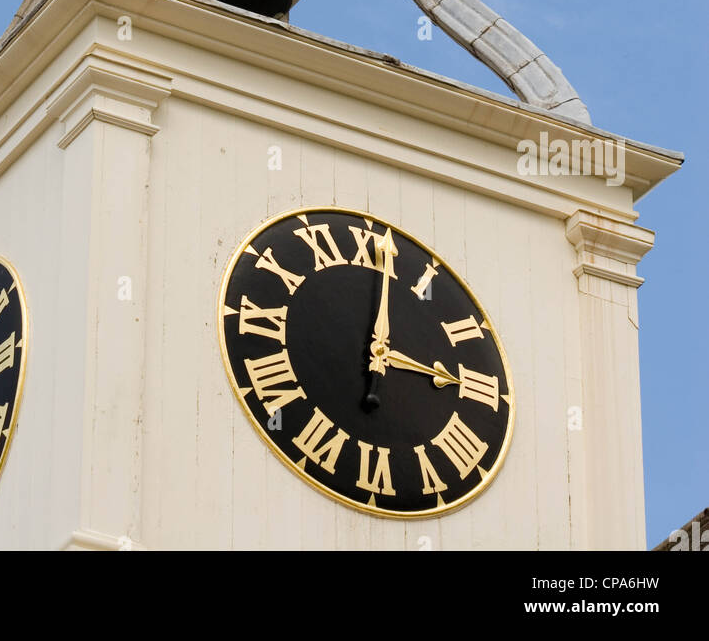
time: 3:01
